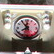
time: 7:54
